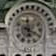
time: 5:18
